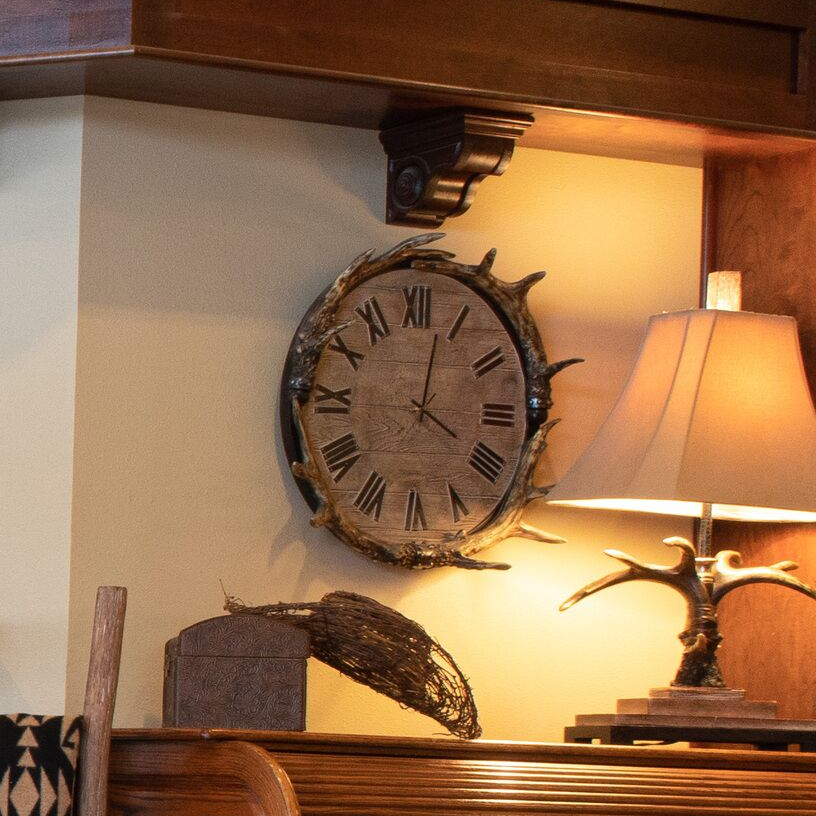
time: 4:02
